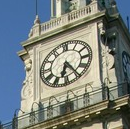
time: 6:24
